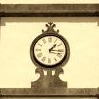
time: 1:16
